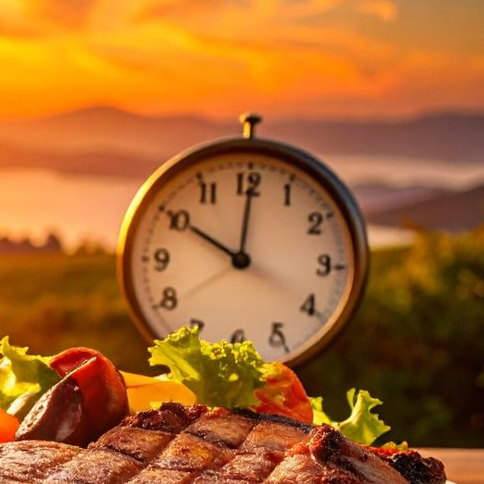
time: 10:00
